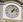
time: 1:12
